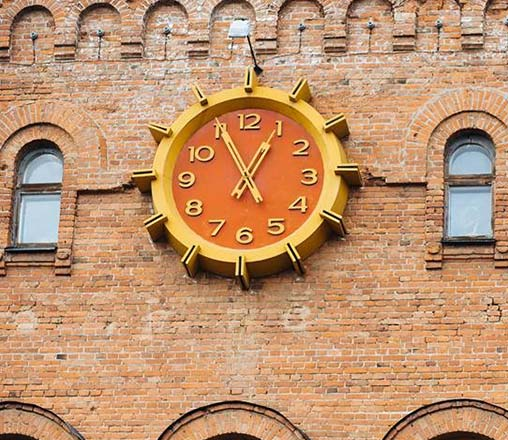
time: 12:55
